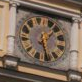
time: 1:28
